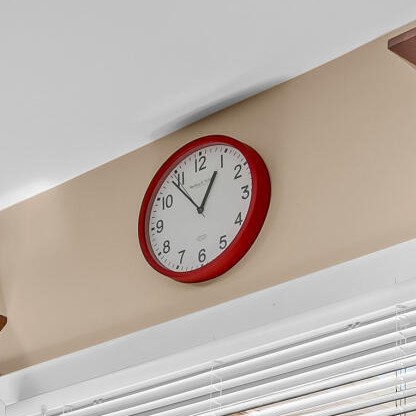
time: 12:53
